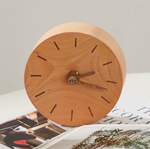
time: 2:17
